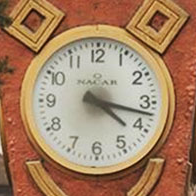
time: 4:17
